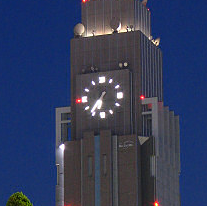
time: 6:36
